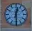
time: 12:29
